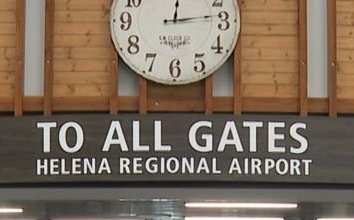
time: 12:13
